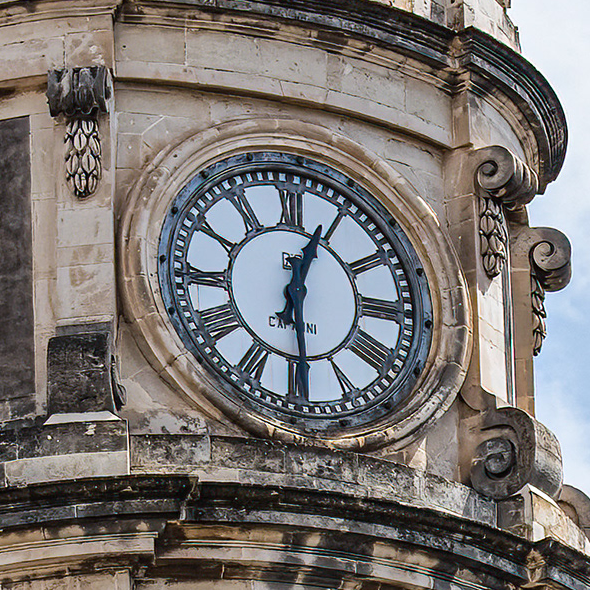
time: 12:28
